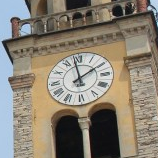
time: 1:58
